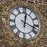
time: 12:18
